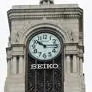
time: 10:14
